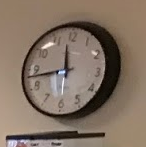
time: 11:43
